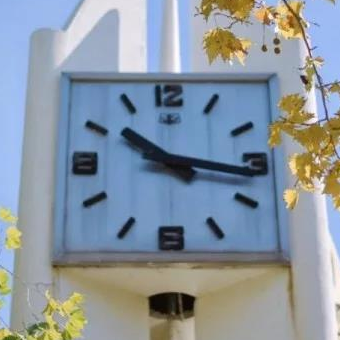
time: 10:16
